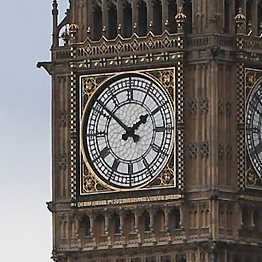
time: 1:51
